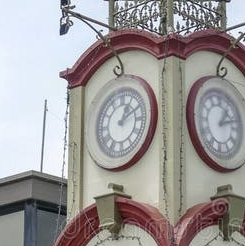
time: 1:10
